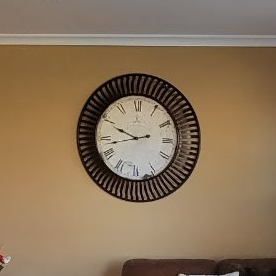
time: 9:42
